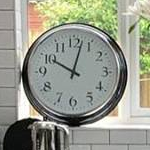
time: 10:02
